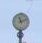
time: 11:11
